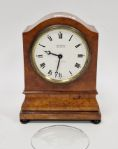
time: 9:32
